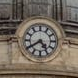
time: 4:39
